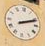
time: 2:11
